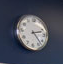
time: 2:22
